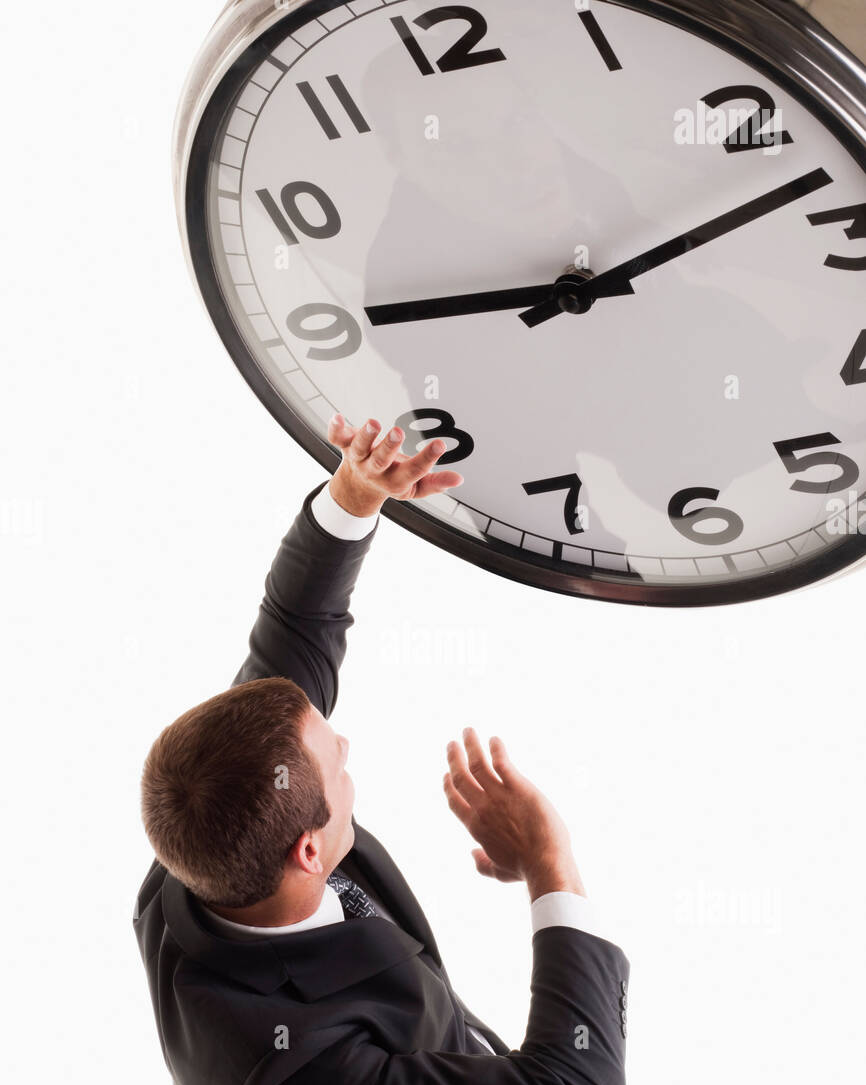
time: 9:12
